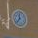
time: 11:37
